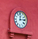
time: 12:13
